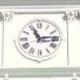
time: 11:13
